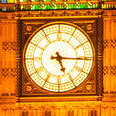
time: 5:15
